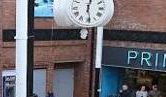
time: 12:28
